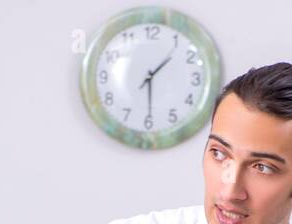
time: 1:29
